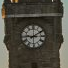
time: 9:10
